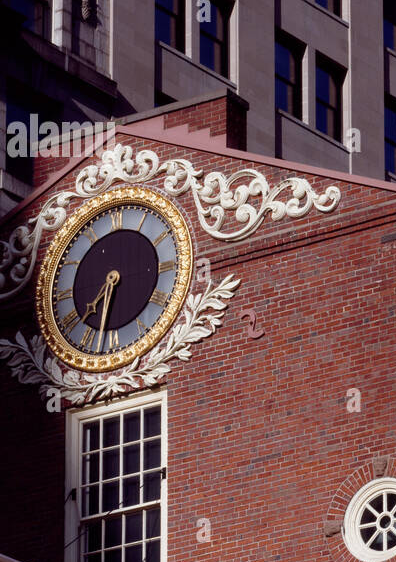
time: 7:32
